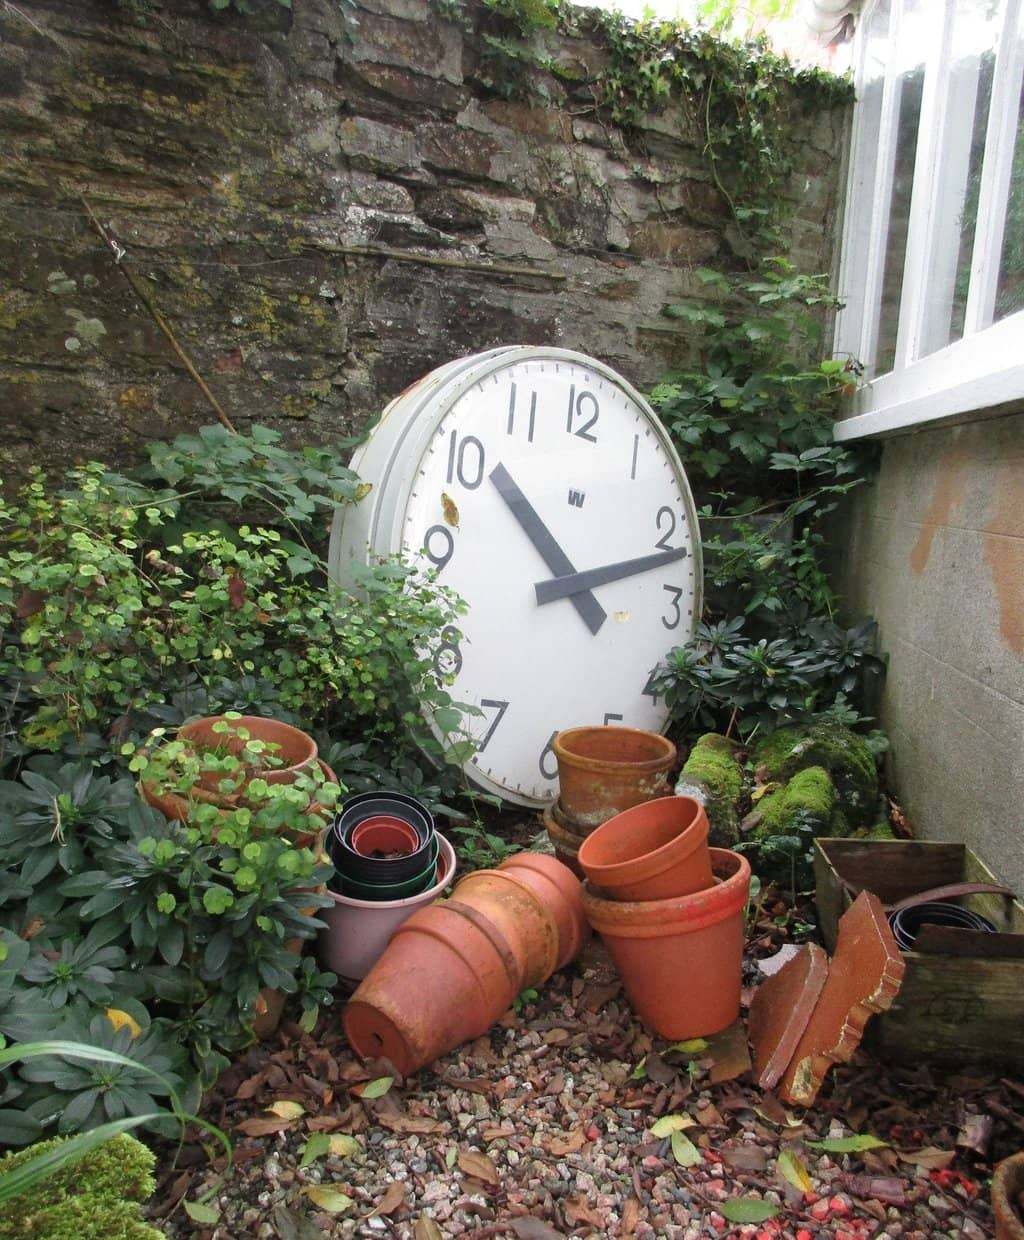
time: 10:11
